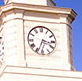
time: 3:33
